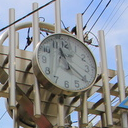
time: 11:21
